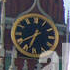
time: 12:33
